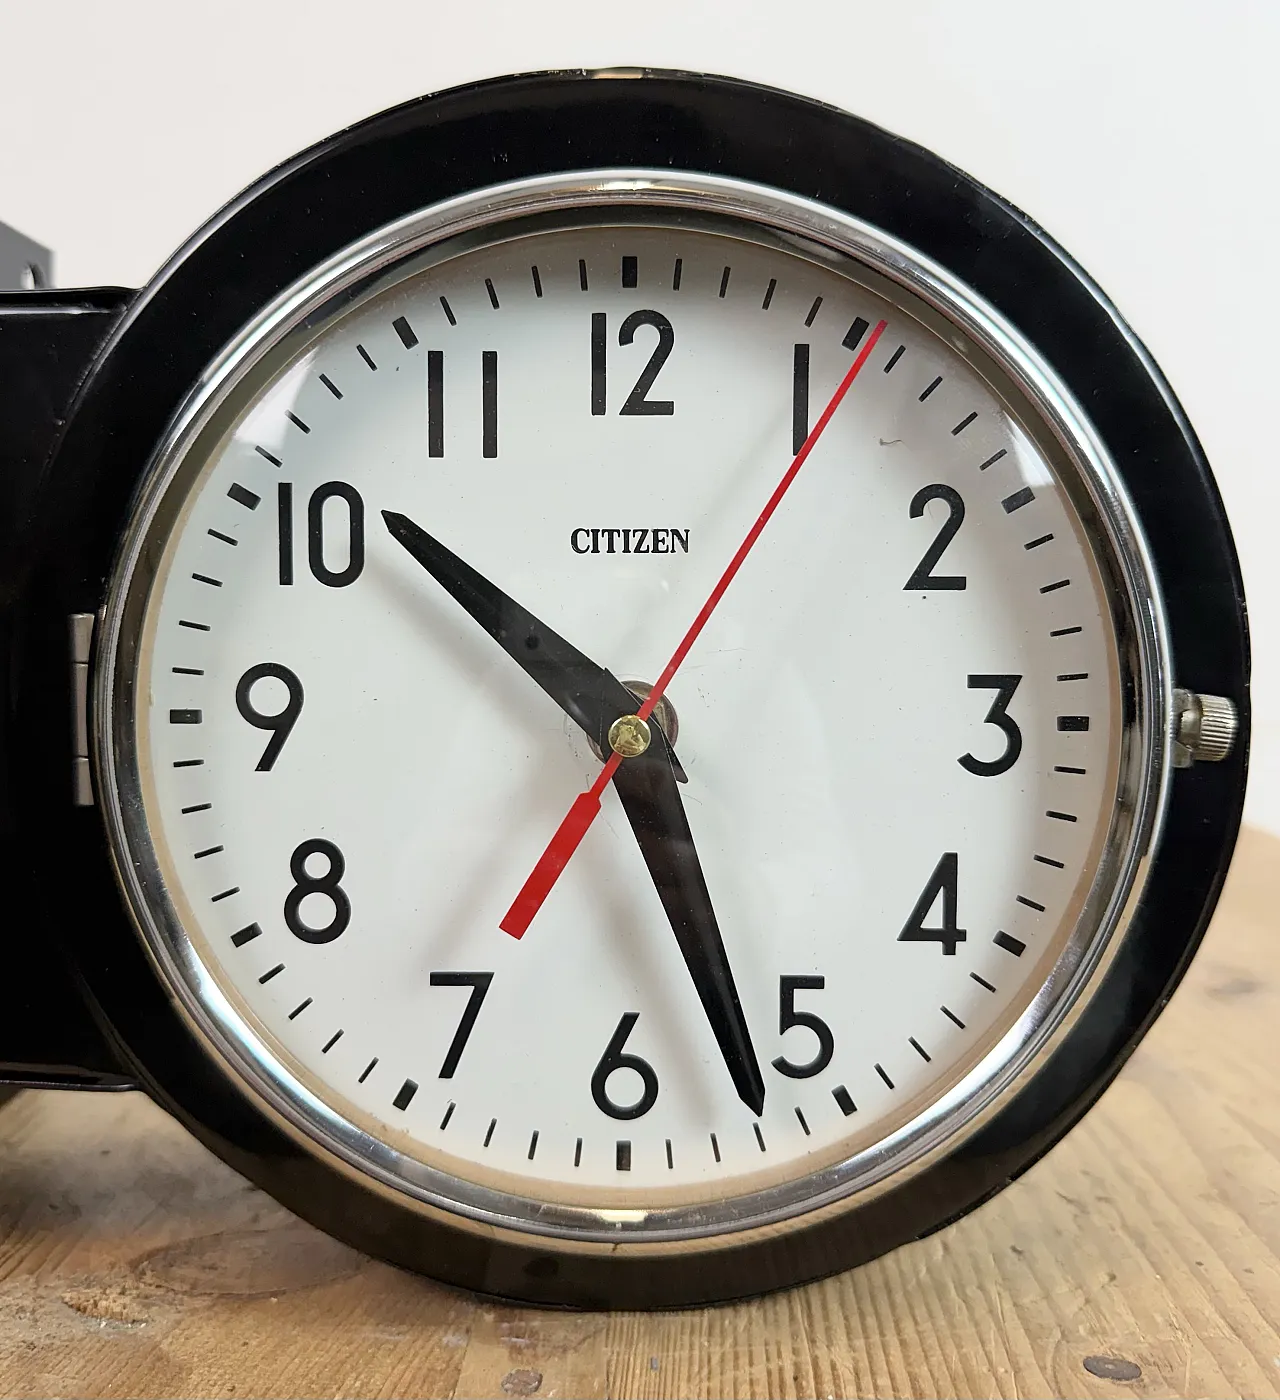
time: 10:26
